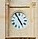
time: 4:54
